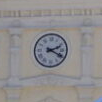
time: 2:19
